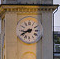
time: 8:40
